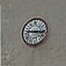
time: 9:16
